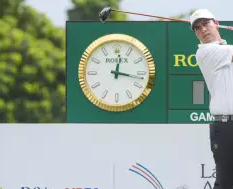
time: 12:16
